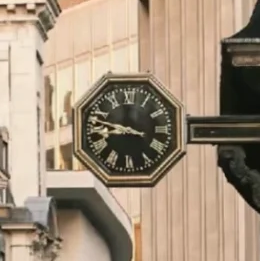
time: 8:47
